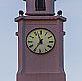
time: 6:56
